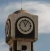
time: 11:05
